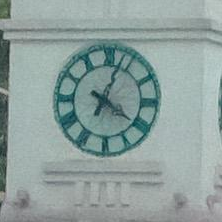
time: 4:03
